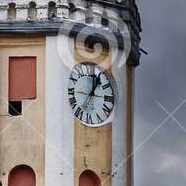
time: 1:02
